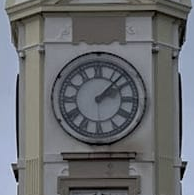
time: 2:07
